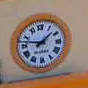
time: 1:46
